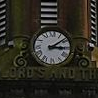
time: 3:08
